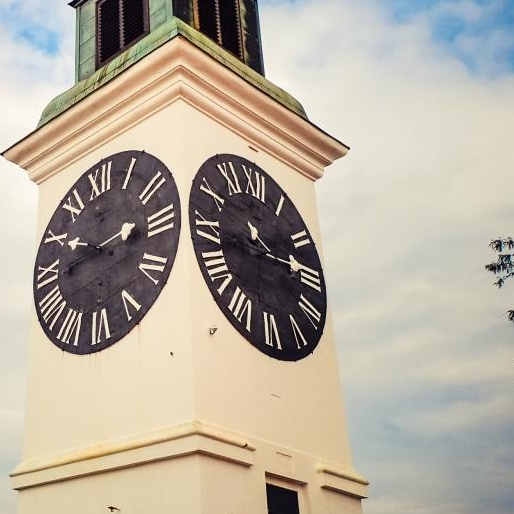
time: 11:14
